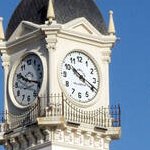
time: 10:19
